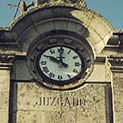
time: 10:00
